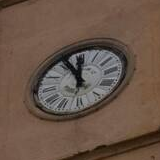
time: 11:55
